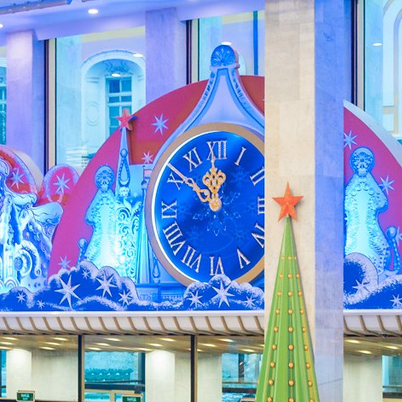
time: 11:51
